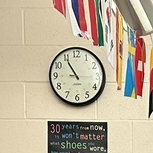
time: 10:54
